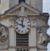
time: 11:48
